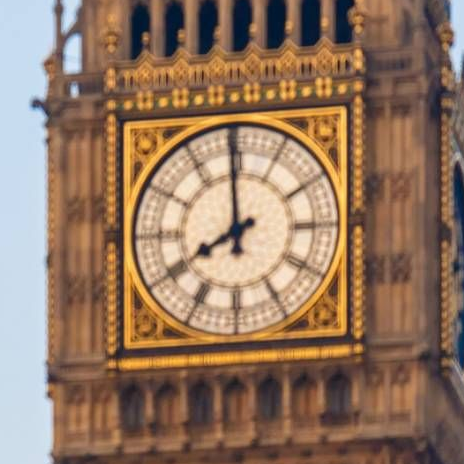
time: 7:59
